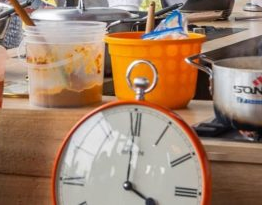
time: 4:00
